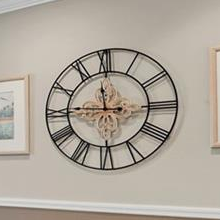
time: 11:45
